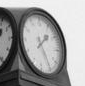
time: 1:24
